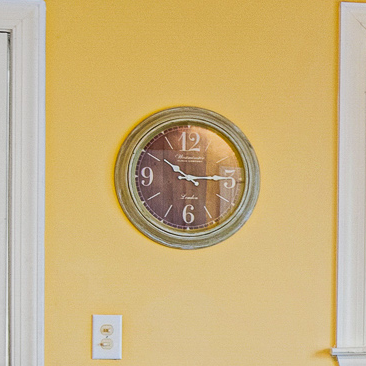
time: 10:14
